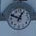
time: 12:48
